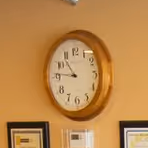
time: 10:46
